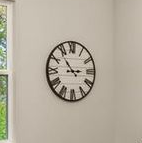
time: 2:53
